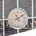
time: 11:09
